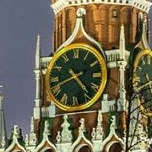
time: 4:41
